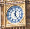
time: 12:24
